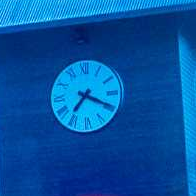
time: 7:19
